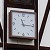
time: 11:14
